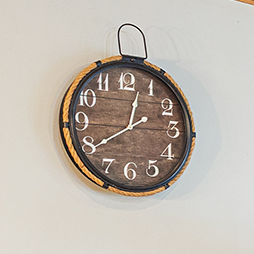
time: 12:39
